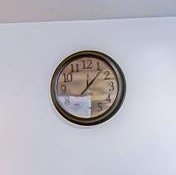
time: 12:06
